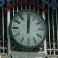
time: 12:01
